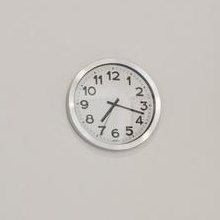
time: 7:17
